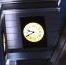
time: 9:40
